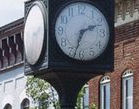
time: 2:33
